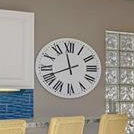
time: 11:41
